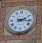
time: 2:16
